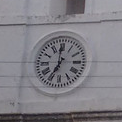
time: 6:59
